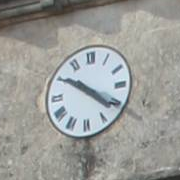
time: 4:20
